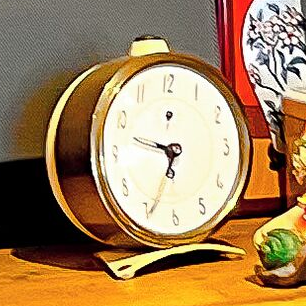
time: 9:34
